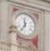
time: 11:35
